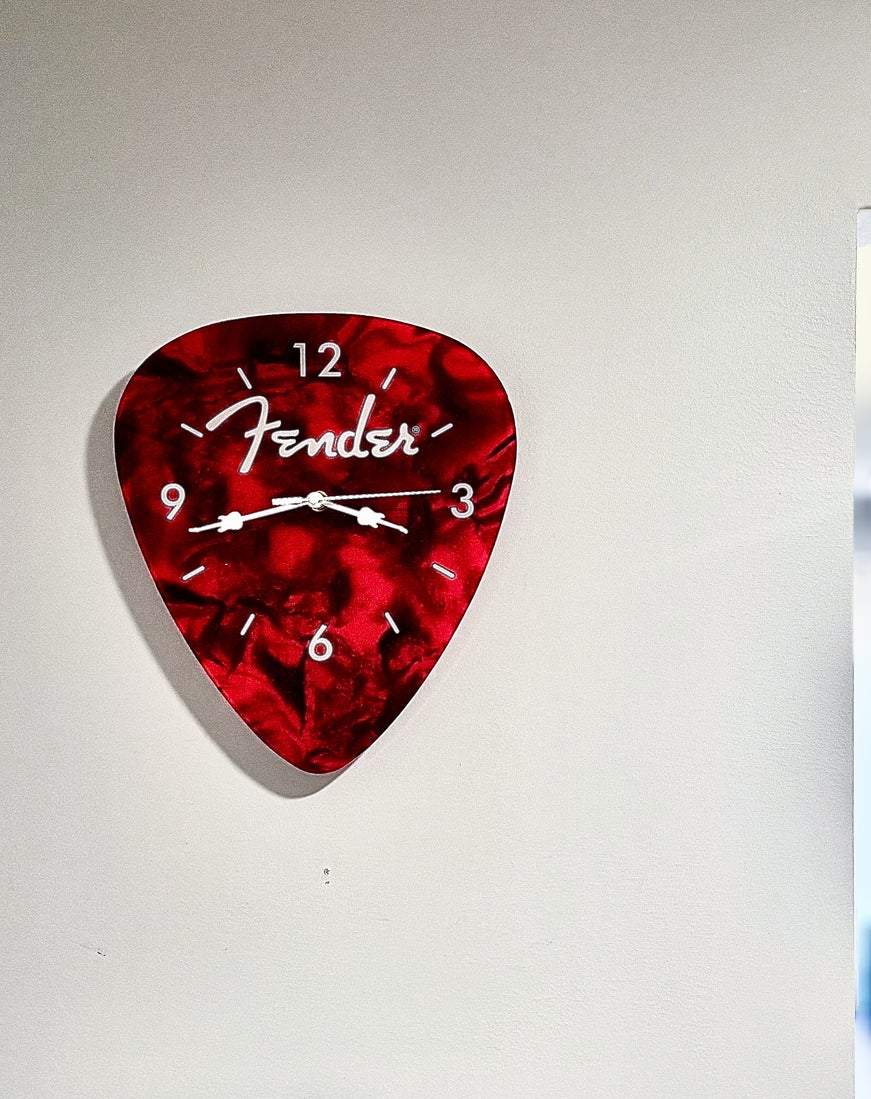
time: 3:42
